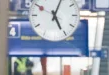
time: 5:03
